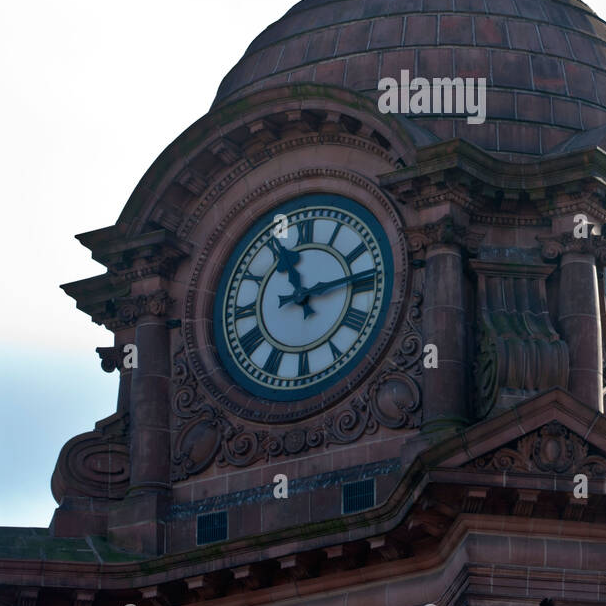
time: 11:13
